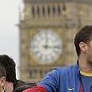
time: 12:15
